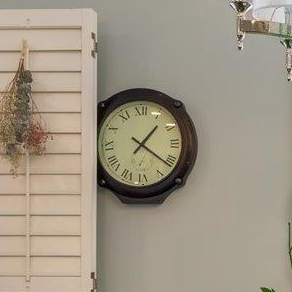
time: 1:21
